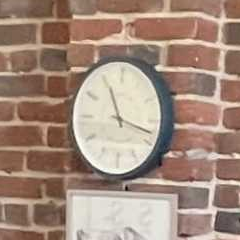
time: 11:17
